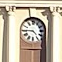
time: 4:45
